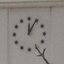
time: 12:04
